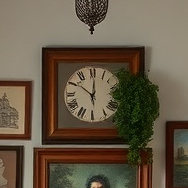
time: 10:00
